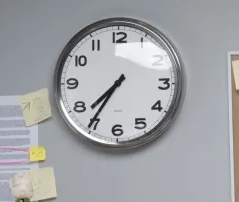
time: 7:35
